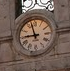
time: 8:57
